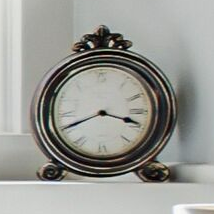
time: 3:40
